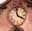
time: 3:58
